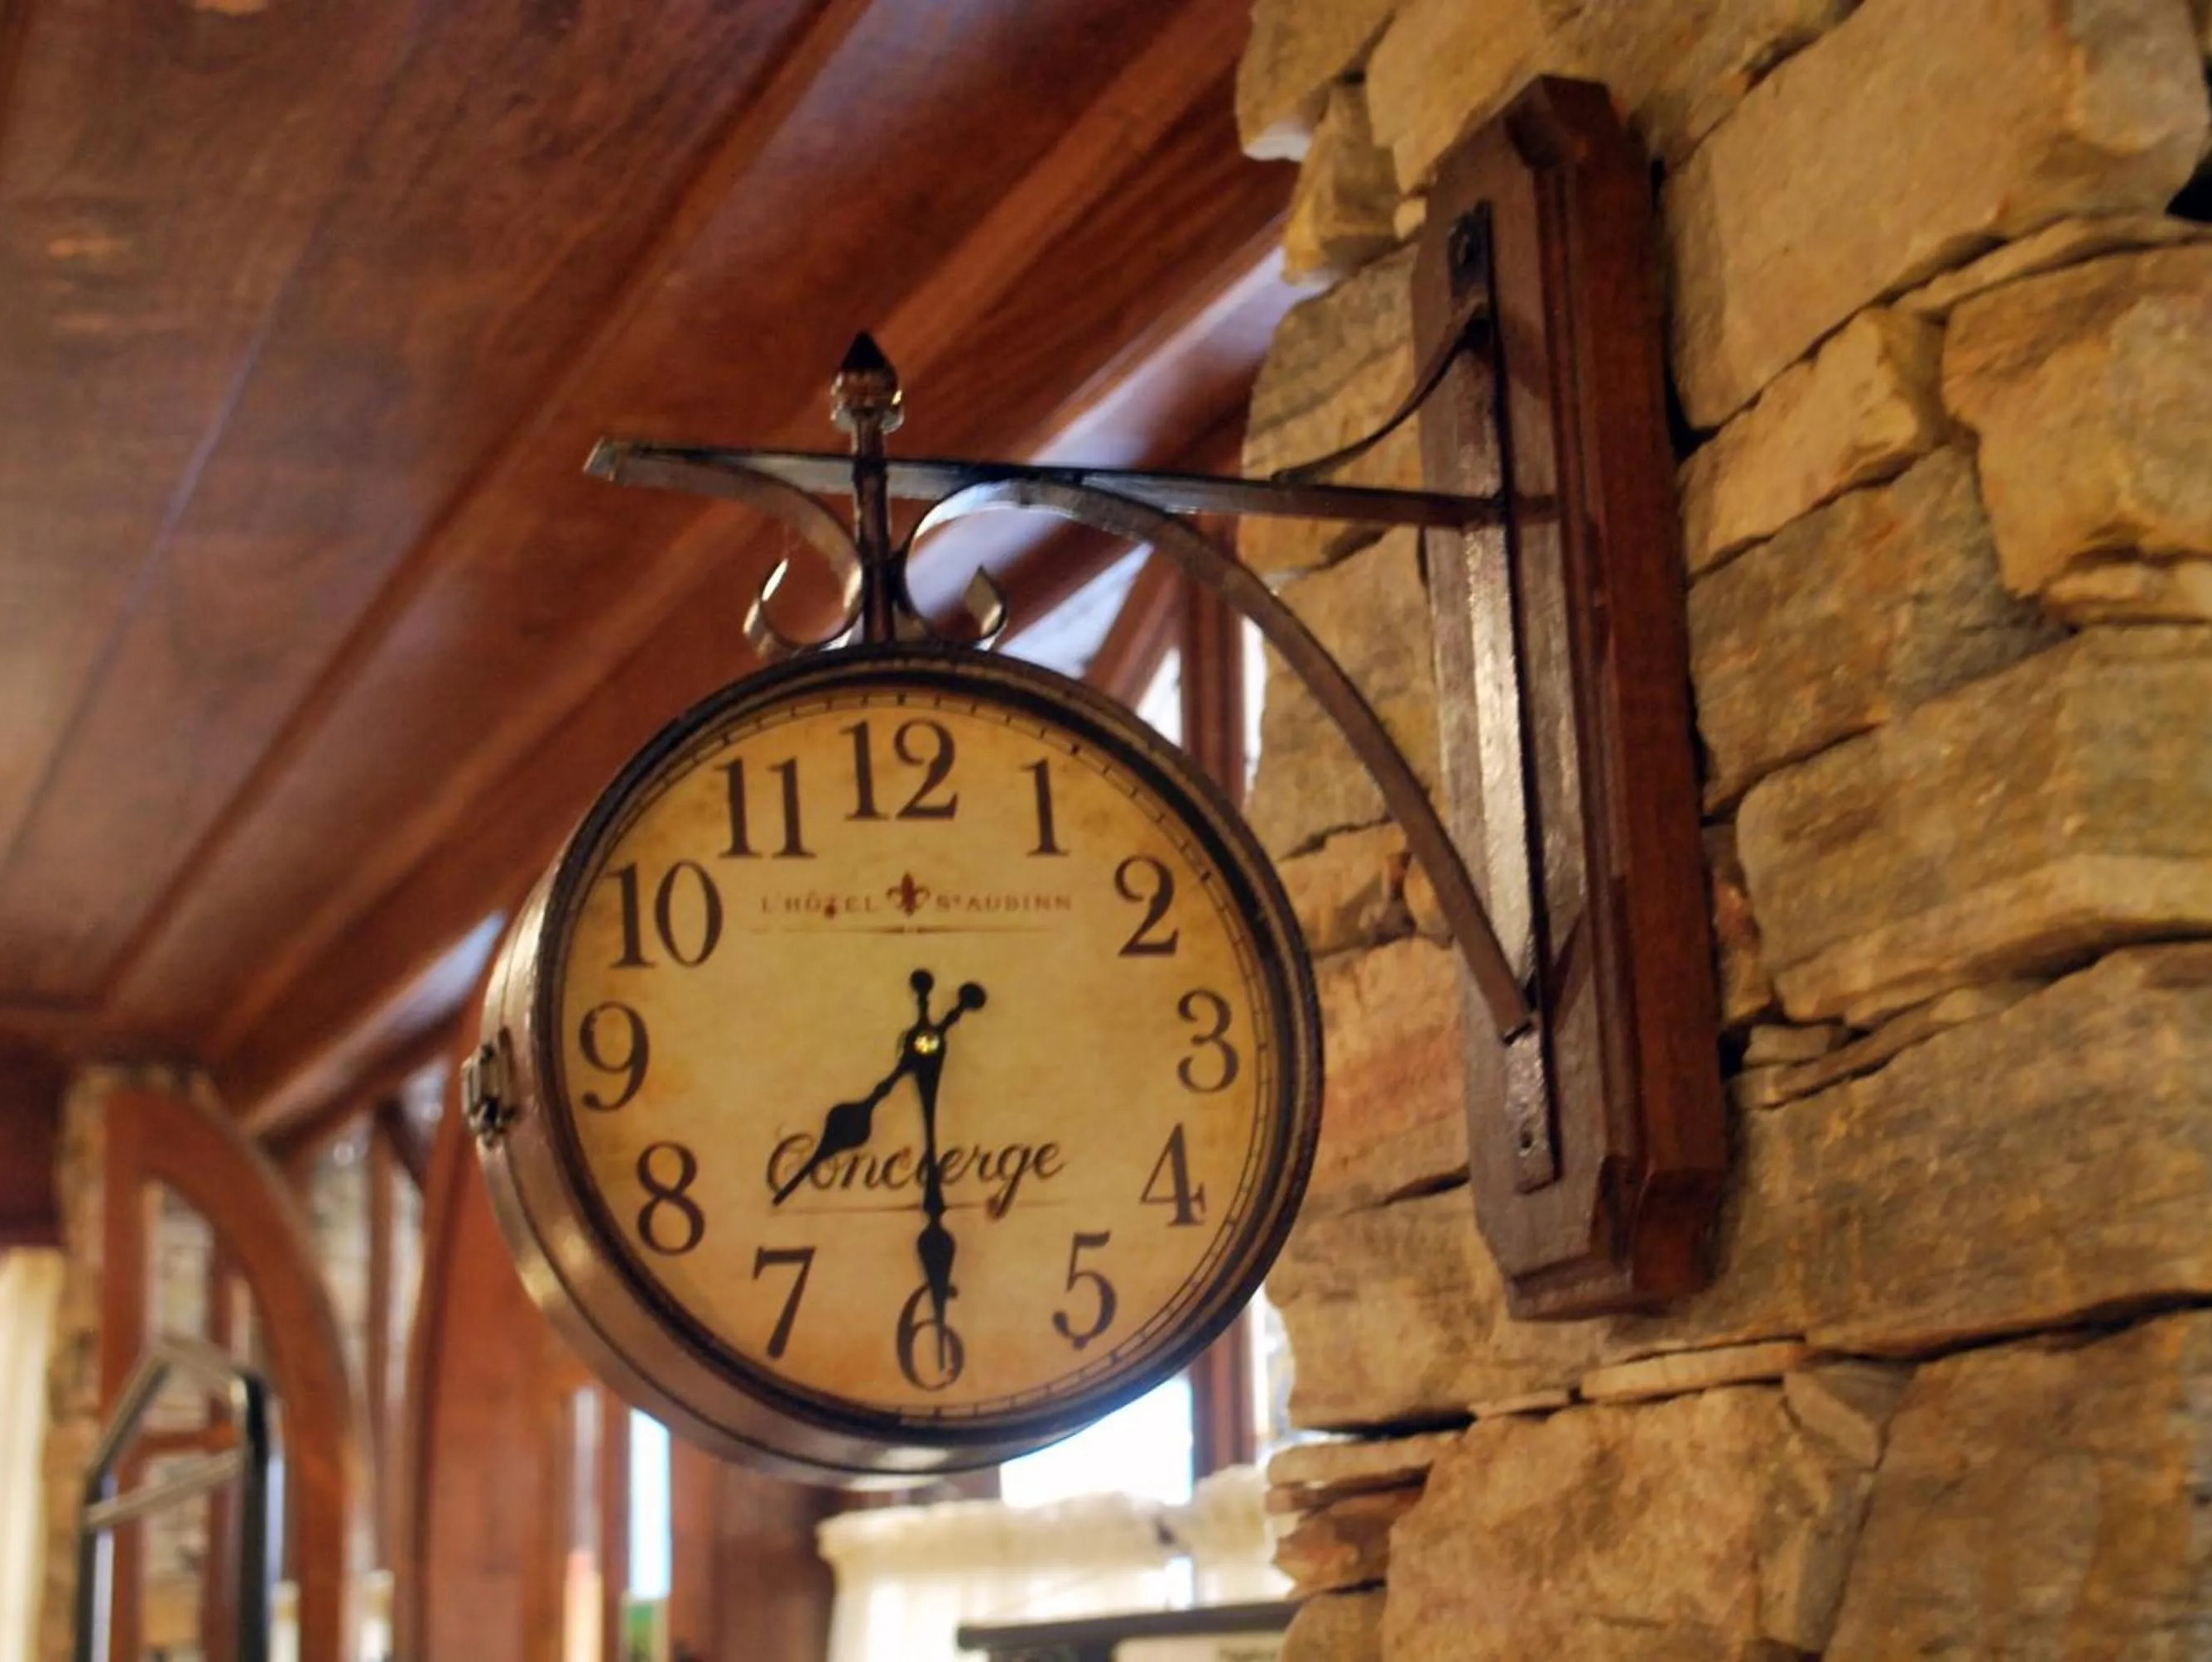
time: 7:30
